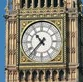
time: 10:37
